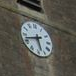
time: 5:42
